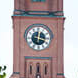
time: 12:18
